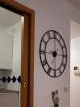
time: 11:44
